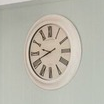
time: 9:41
